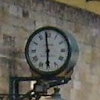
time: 5:58
